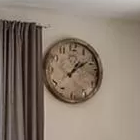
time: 1:09
